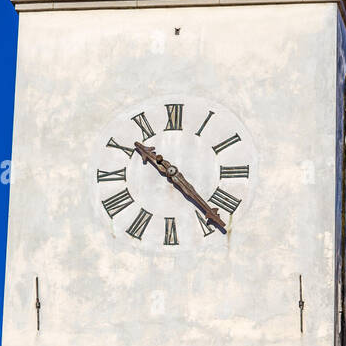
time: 10:22
